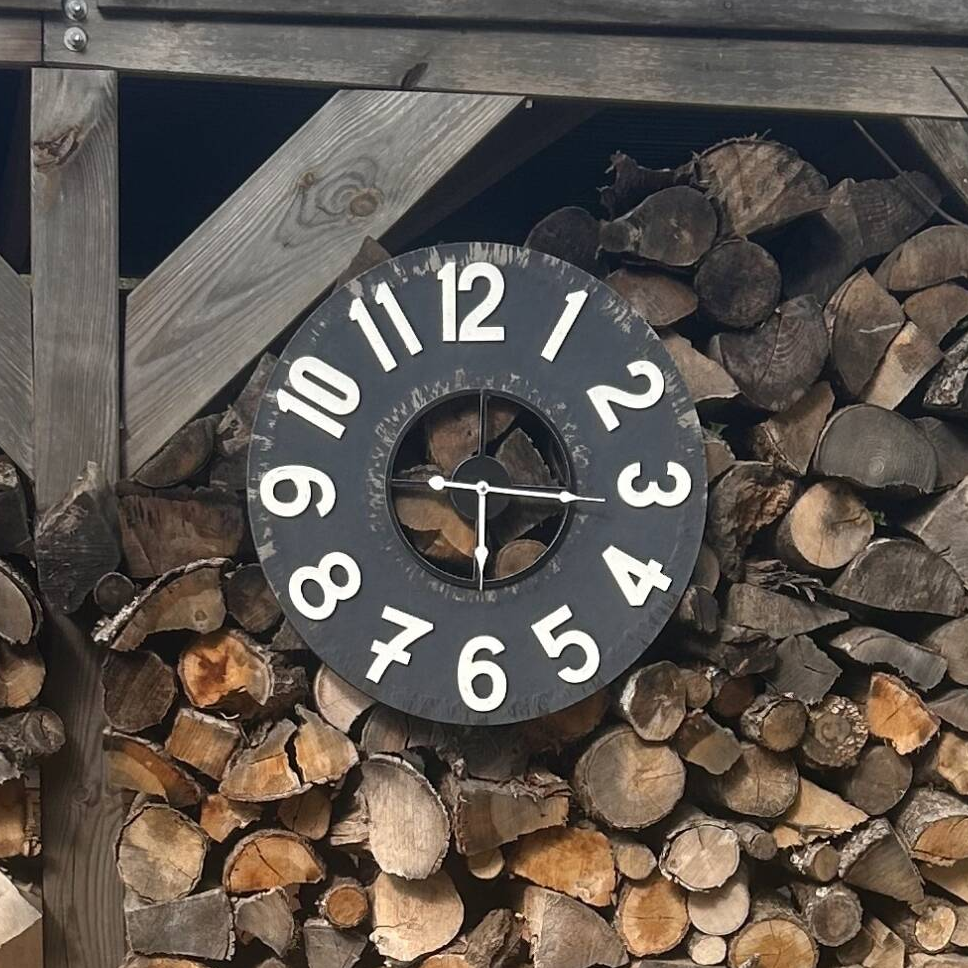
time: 6:16
